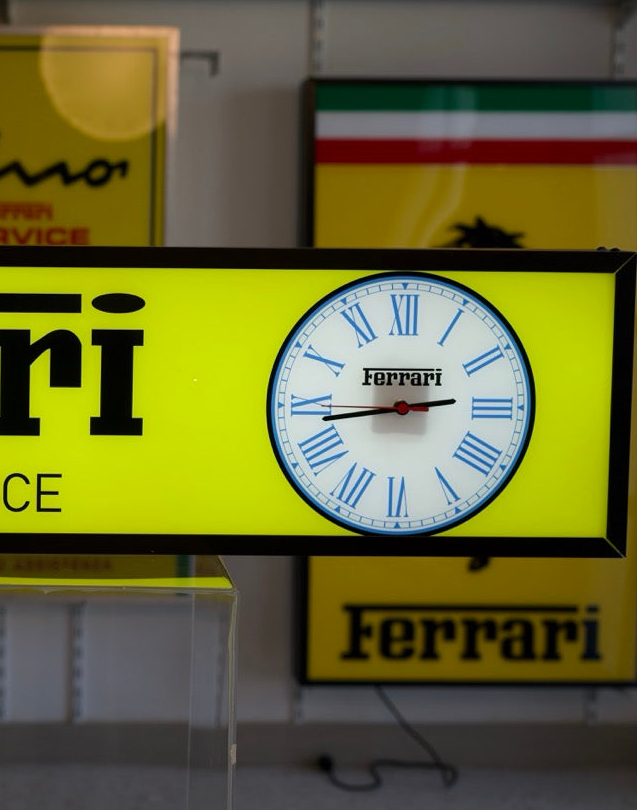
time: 2:43
